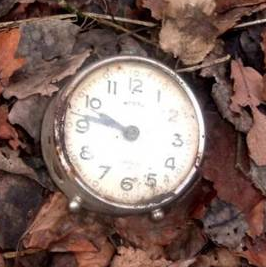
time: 9:47
